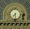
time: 7:28
